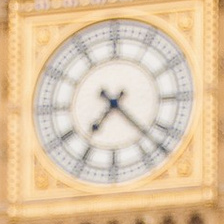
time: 7:22
